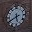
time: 5:40
